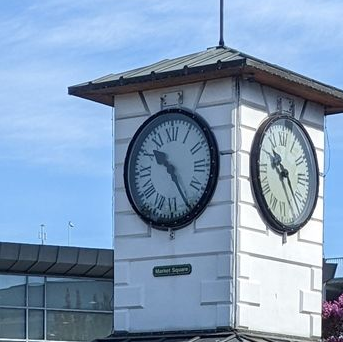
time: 10:24
